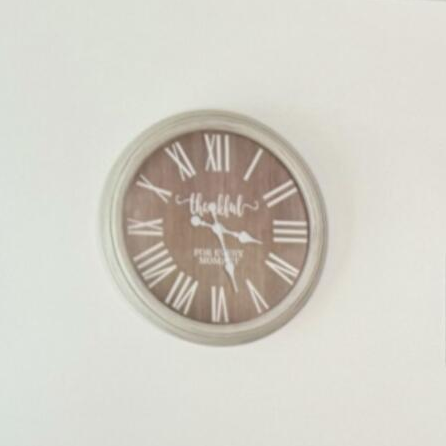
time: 3:27
